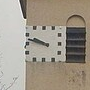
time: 9:47
